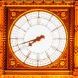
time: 7:42
